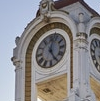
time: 12:25
